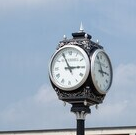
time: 2:55
